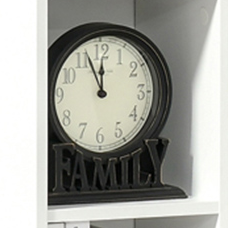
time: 11:56
